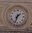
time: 1:33
